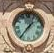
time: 1:36
